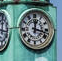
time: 12:17
